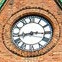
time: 8:16
